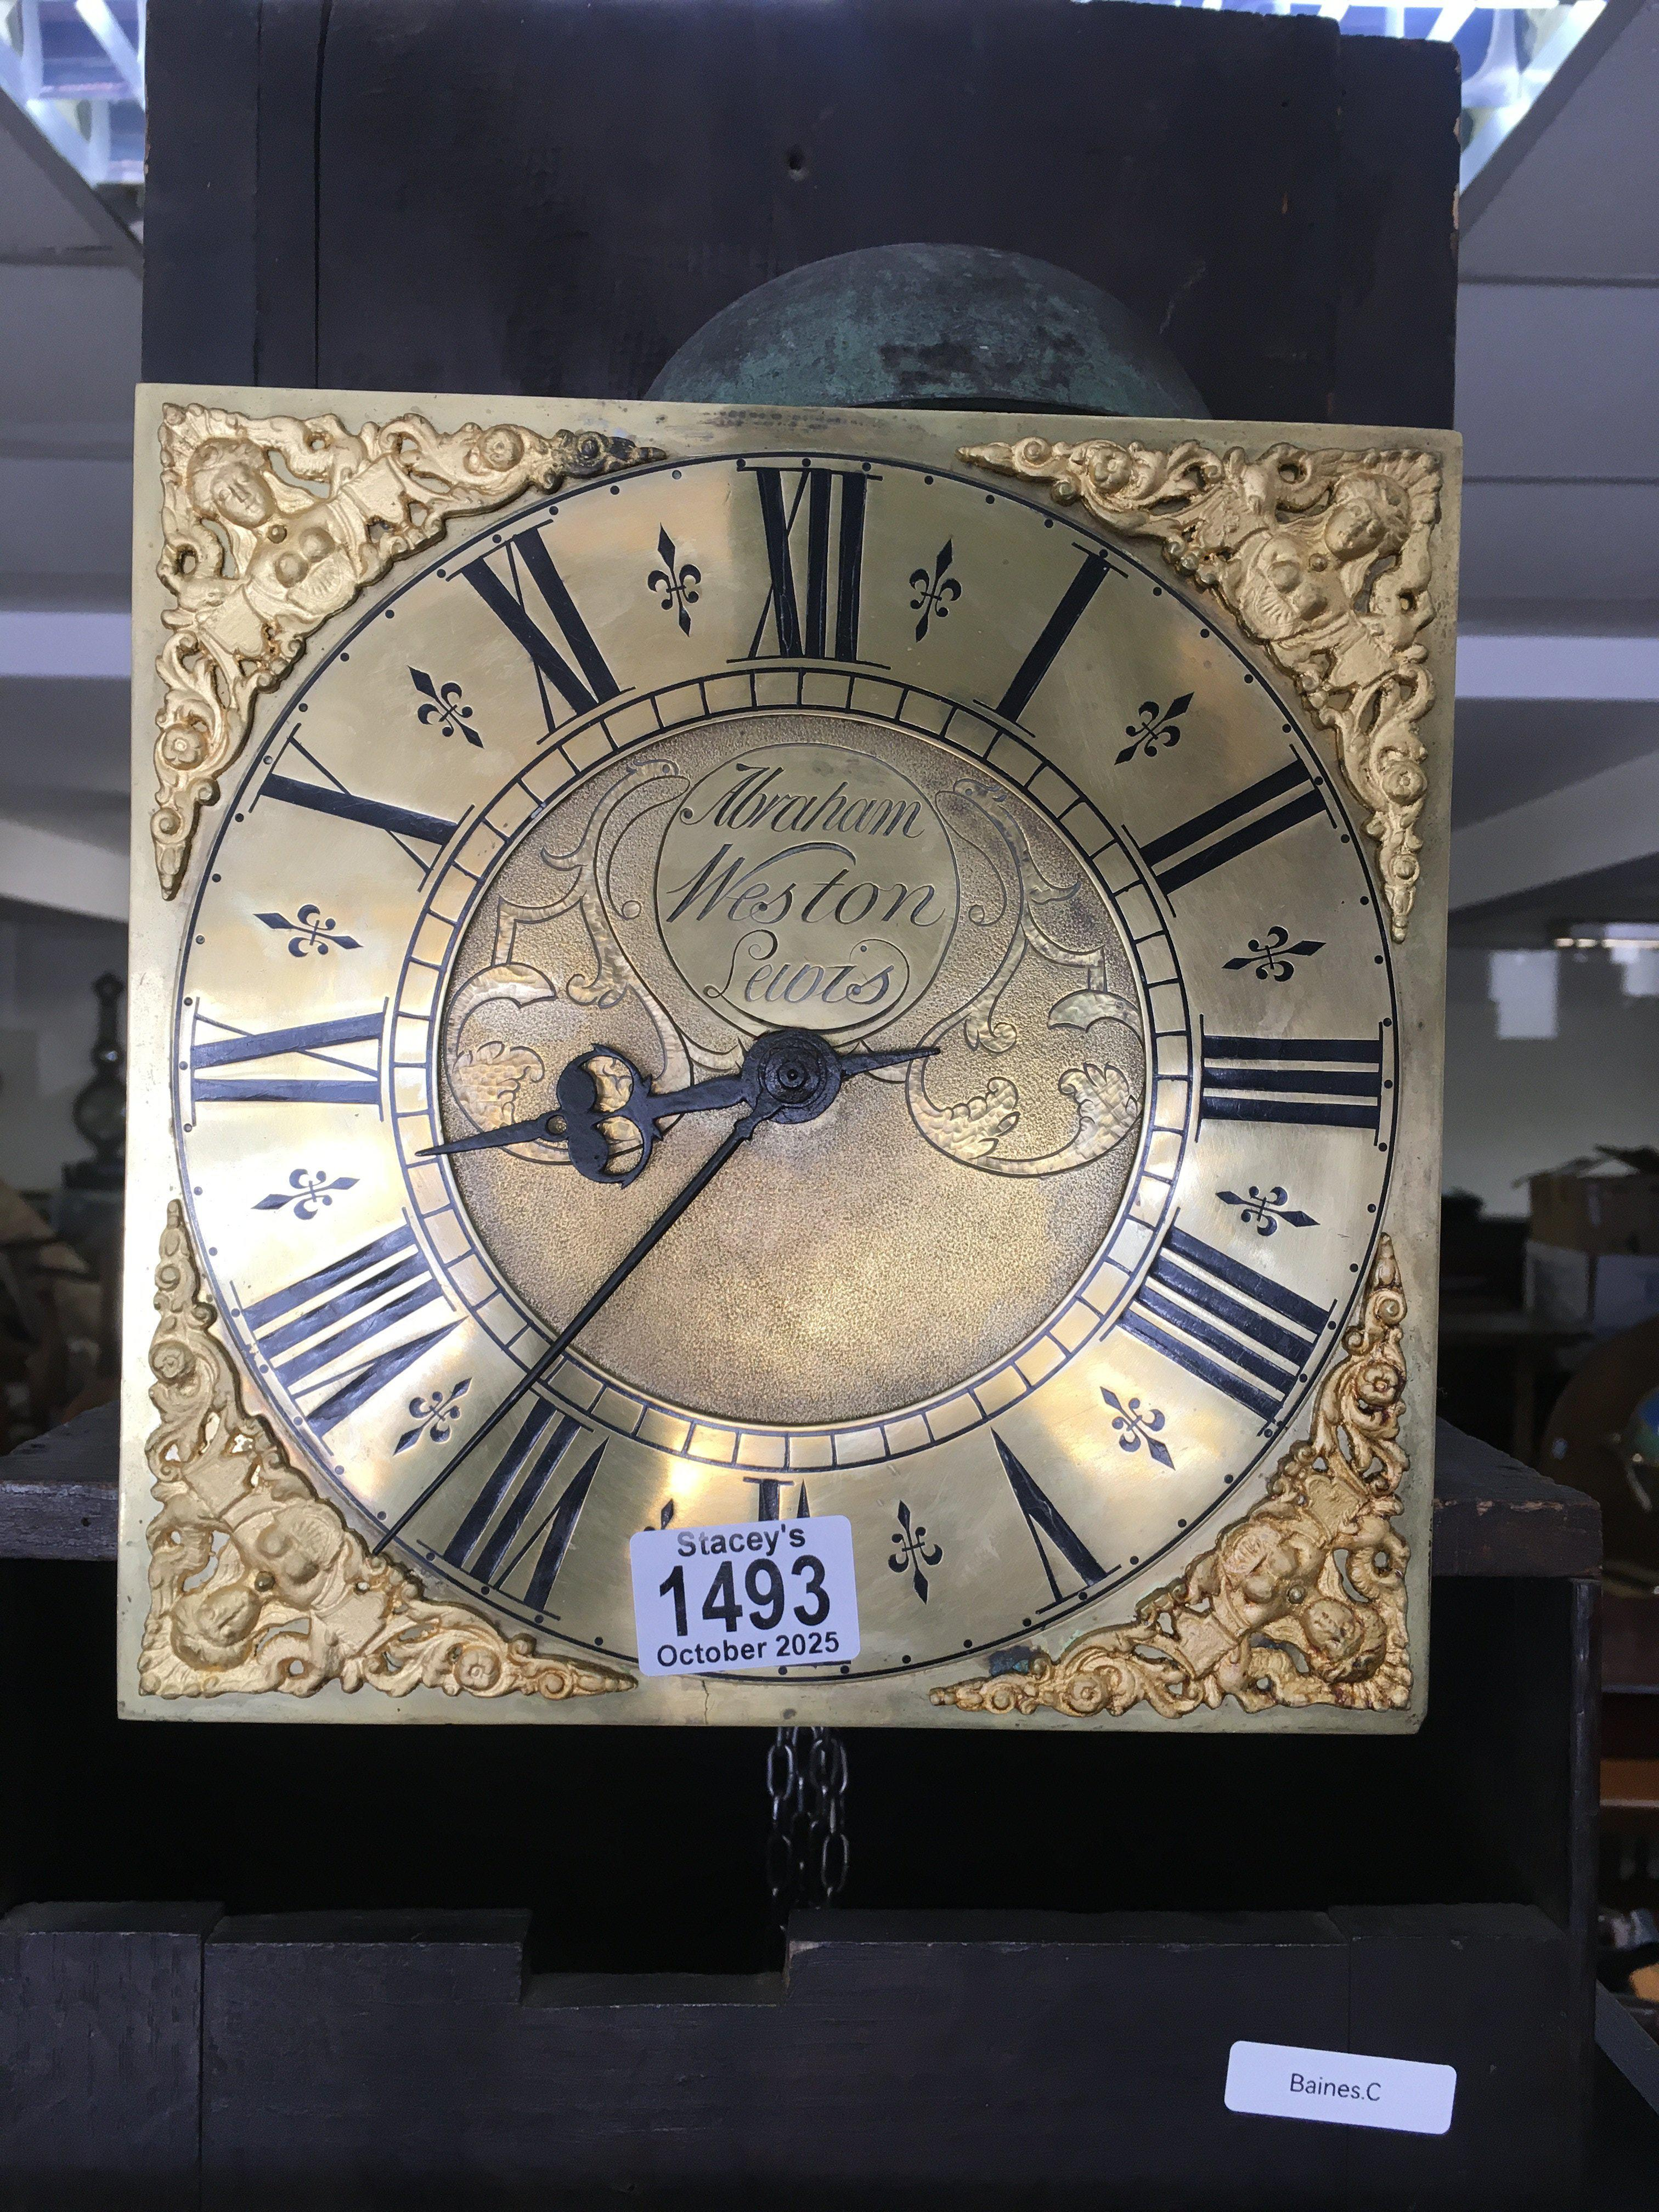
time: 8:36
